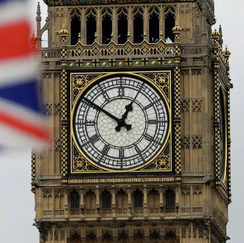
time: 12:50
